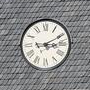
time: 3:10
